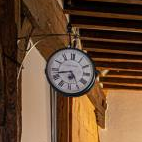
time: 4:42
